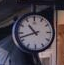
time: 10:42
